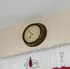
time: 6:52
